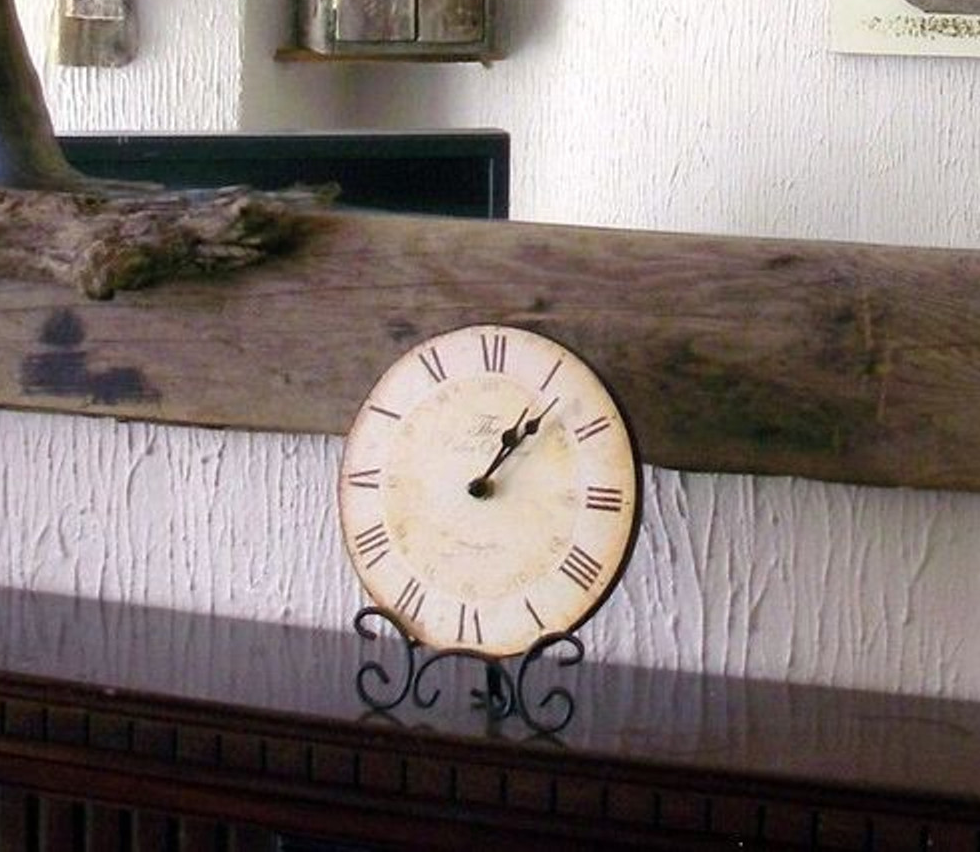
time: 1:07
